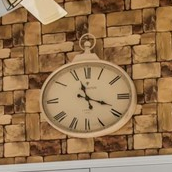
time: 11:18
